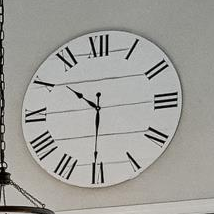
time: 10:30
